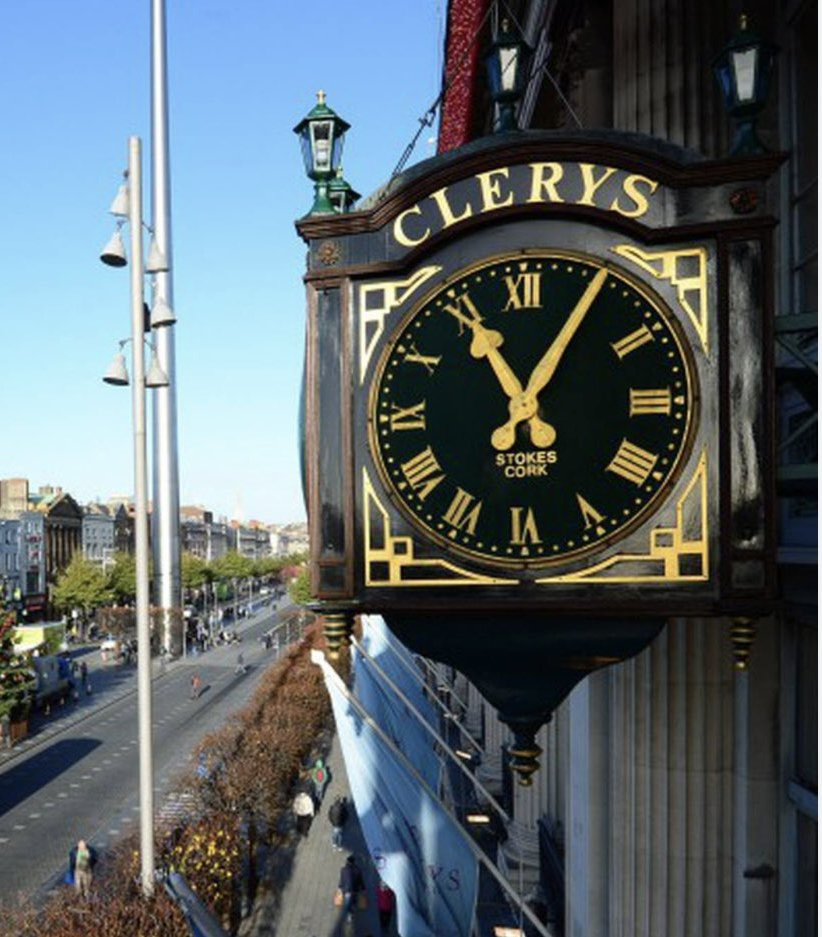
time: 11:05
